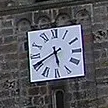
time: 5:40
